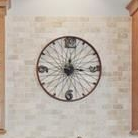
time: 12:16
